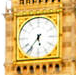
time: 5:36
